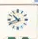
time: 10:41
